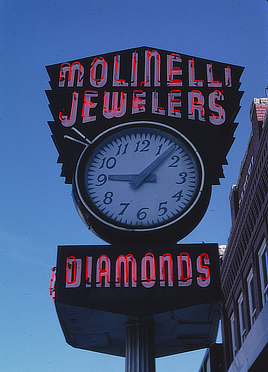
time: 9:07
